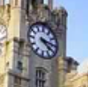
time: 4:16
